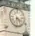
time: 4:31
